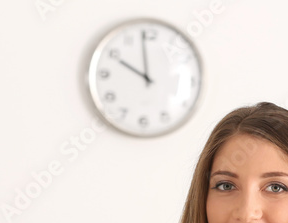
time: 9:58
